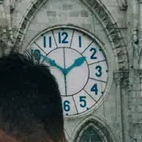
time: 1:50
